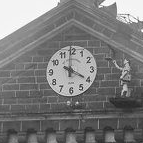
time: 3:59
